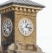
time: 1:16
